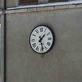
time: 1:28
